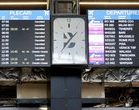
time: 10:37
